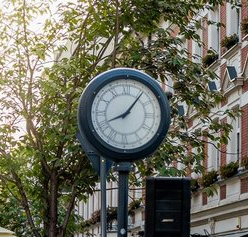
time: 8:06
